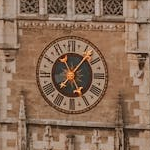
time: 5:06
